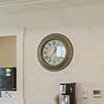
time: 12:36
